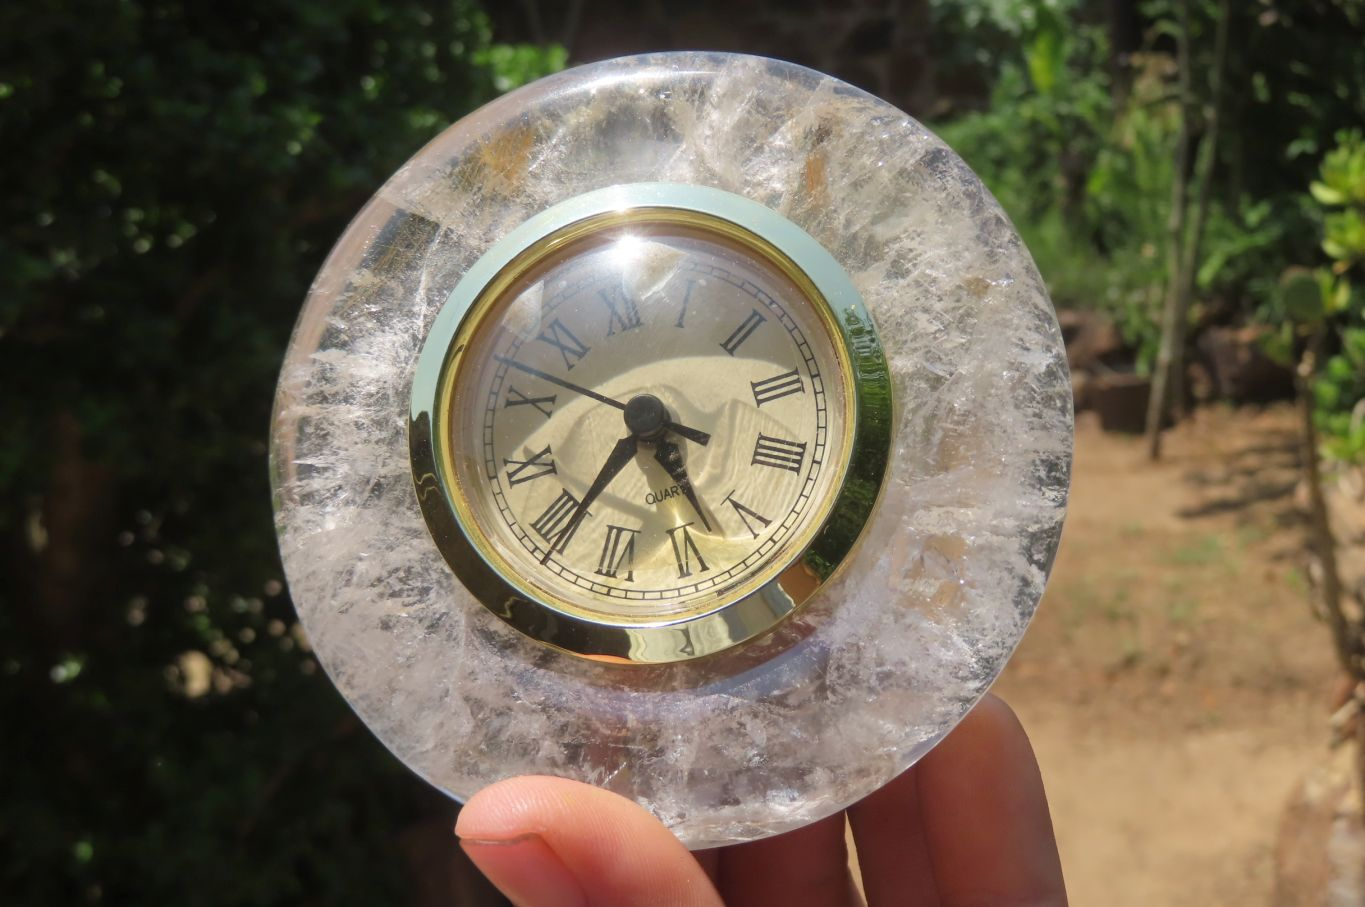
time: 4:35
